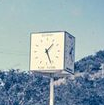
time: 1:26
